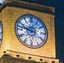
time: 9:47
